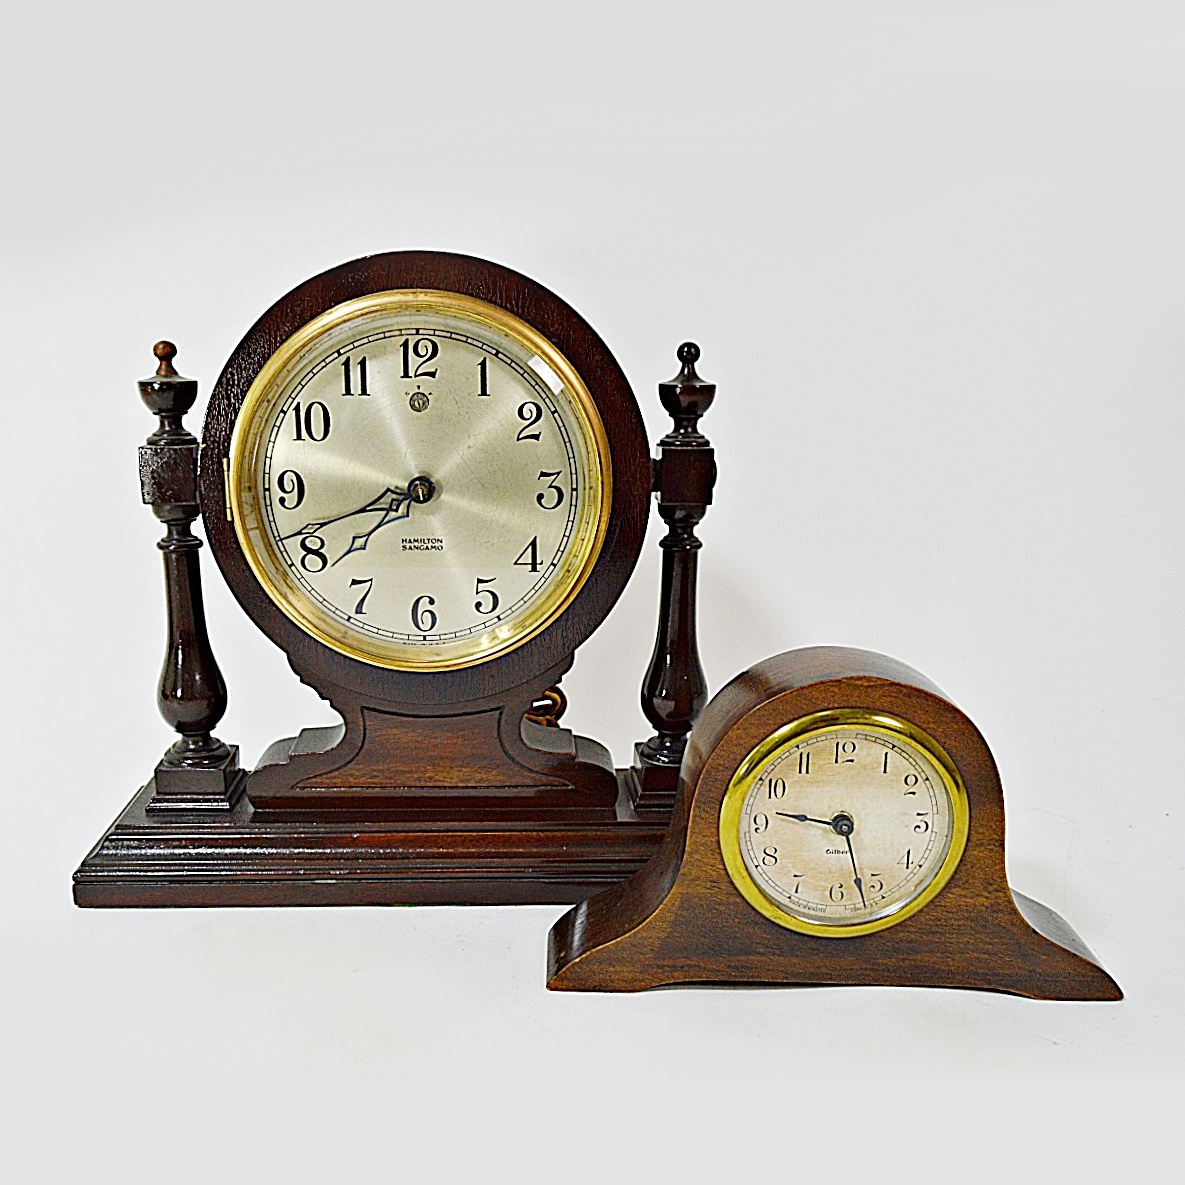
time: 7:41
